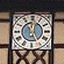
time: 12:26
